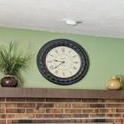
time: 9:38
